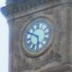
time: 5:49
